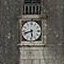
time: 5:41
